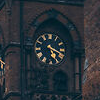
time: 5:18
